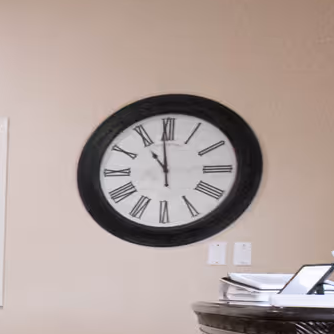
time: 10:59
